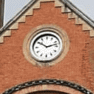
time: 10:12
